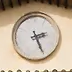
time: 2:26
